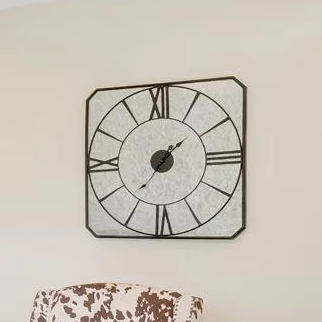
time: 1:36
